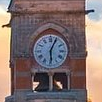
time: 6:04
